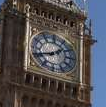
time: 1:41
